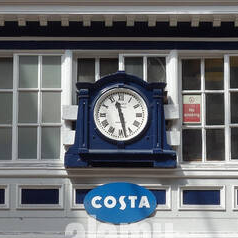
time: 11:28
